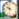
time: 9:32
